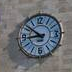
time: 8:51
